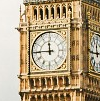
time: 11:45
